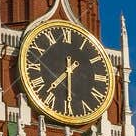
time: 7:30
